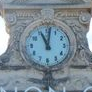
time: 11:01
